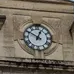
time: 12:50
